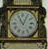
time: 11:04
